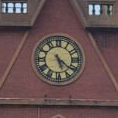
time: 5:21
